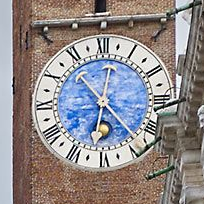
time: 6:23
